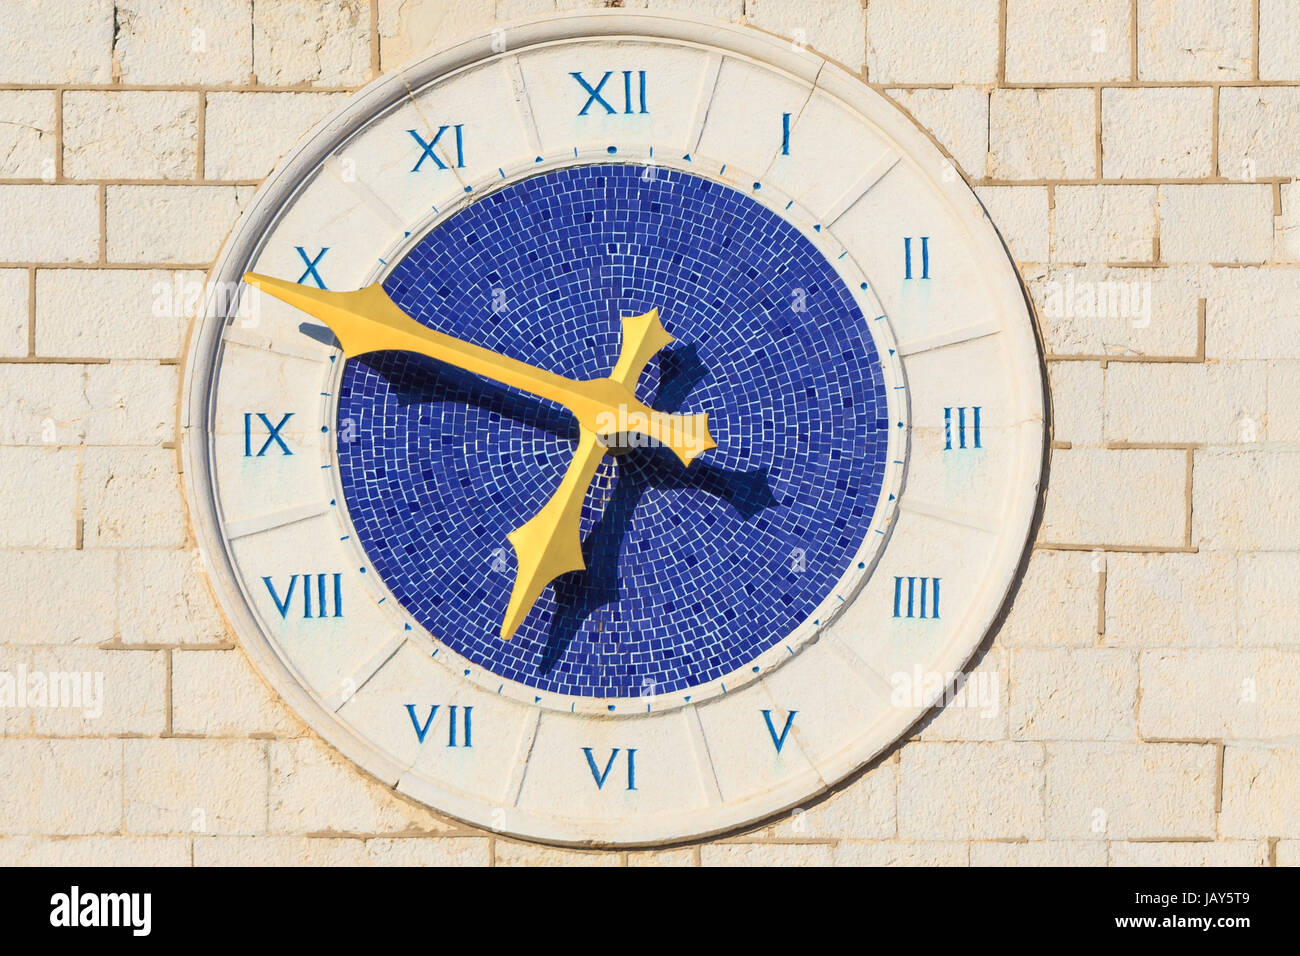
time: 6:48
